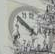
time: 9:51
